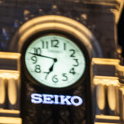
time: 6:47
